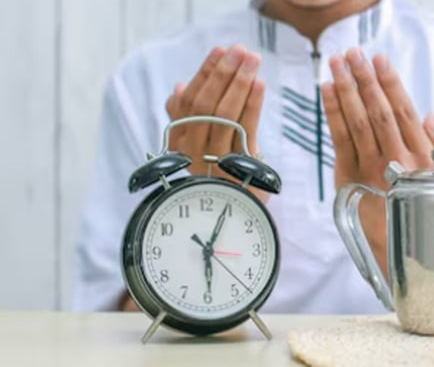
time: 6:04
